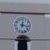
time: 12:16
